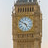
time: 4:50
